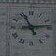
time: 11:13
